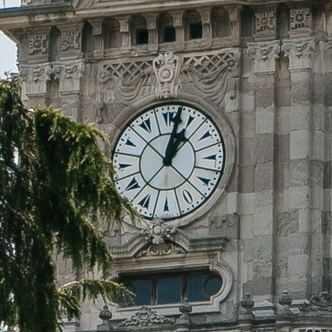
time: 1:02
